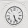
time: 5:26
